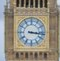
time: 3:16
